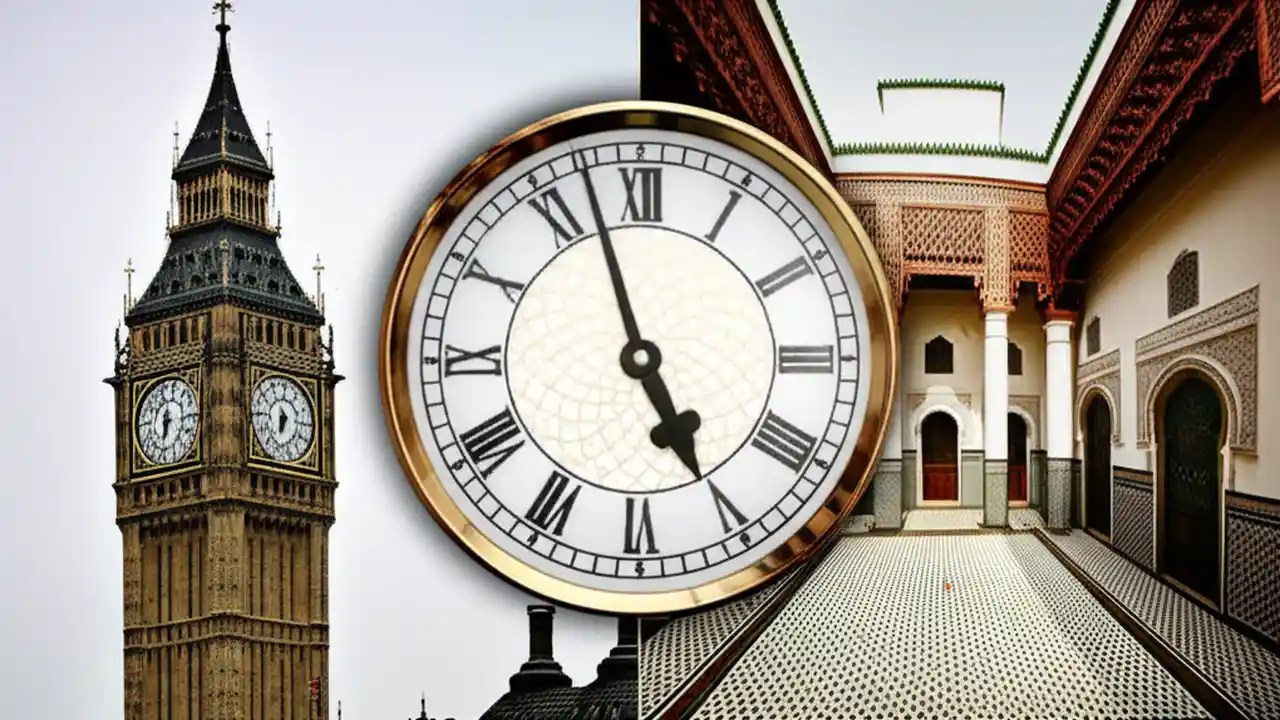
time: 4:57
